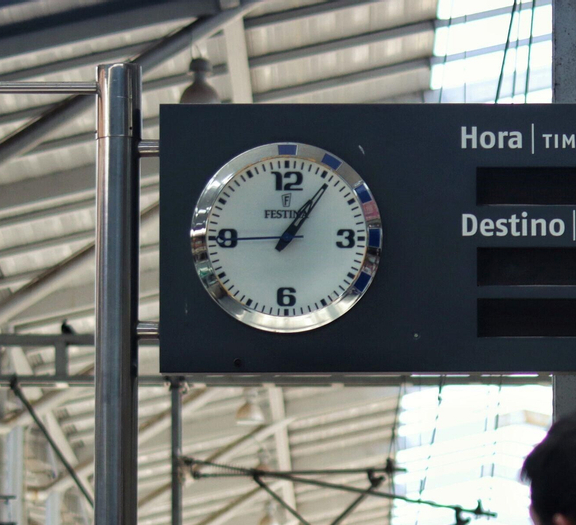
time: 1:06
